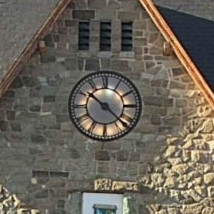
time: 10:22
